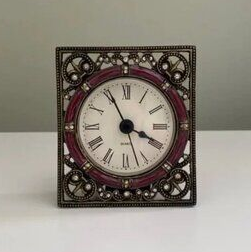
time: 3:55
